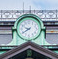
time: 9:39
